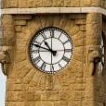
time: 10:48
